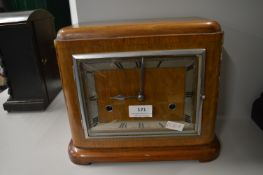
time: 9:01
